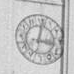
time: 3:02
